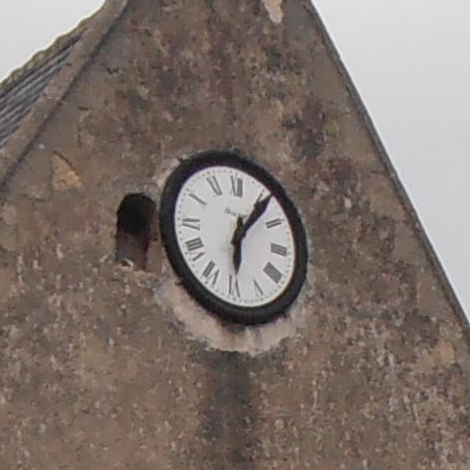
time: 6:06
